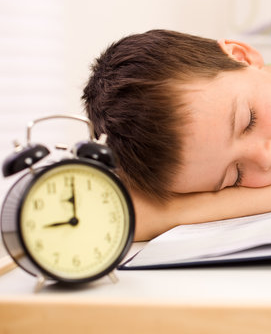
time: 9:01
